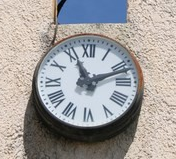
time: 11:11
